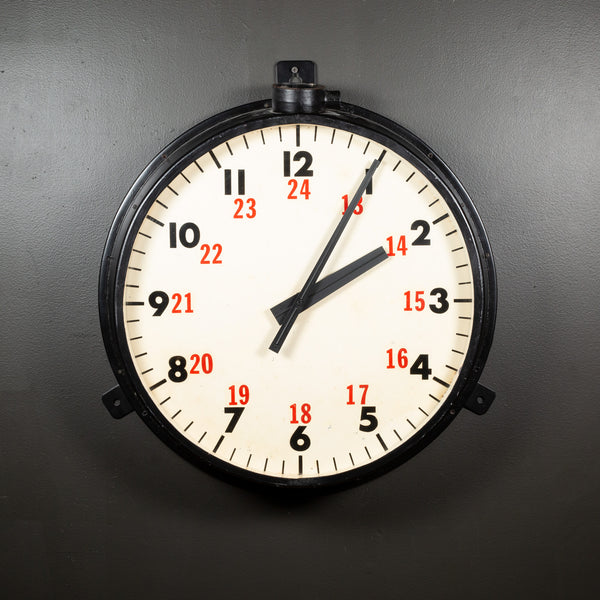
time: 2:04
